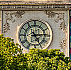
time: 5:14
